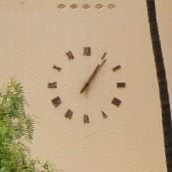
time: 1:06
